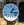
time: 1:16
